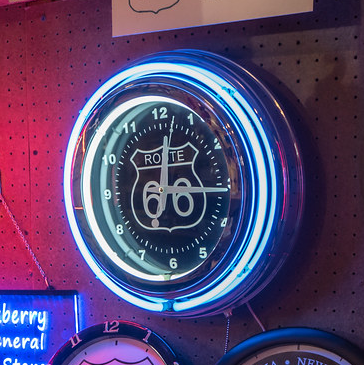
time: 12:15
